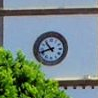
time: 10:41
